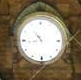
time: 10:43
